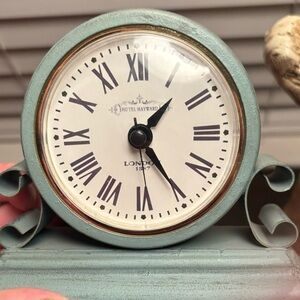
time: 1:24
